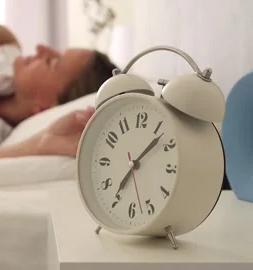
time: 7:07
